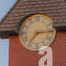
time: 7:14
